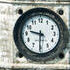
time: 9:30
